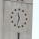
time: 11:32
